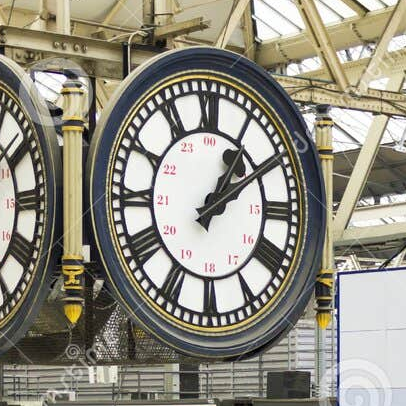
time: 1:09
